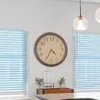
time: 4:34
